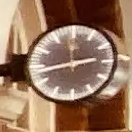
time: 2:42
